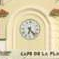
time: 6:23
